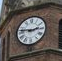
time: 2:46
